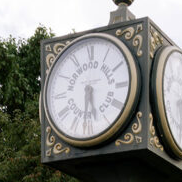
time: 5:31
